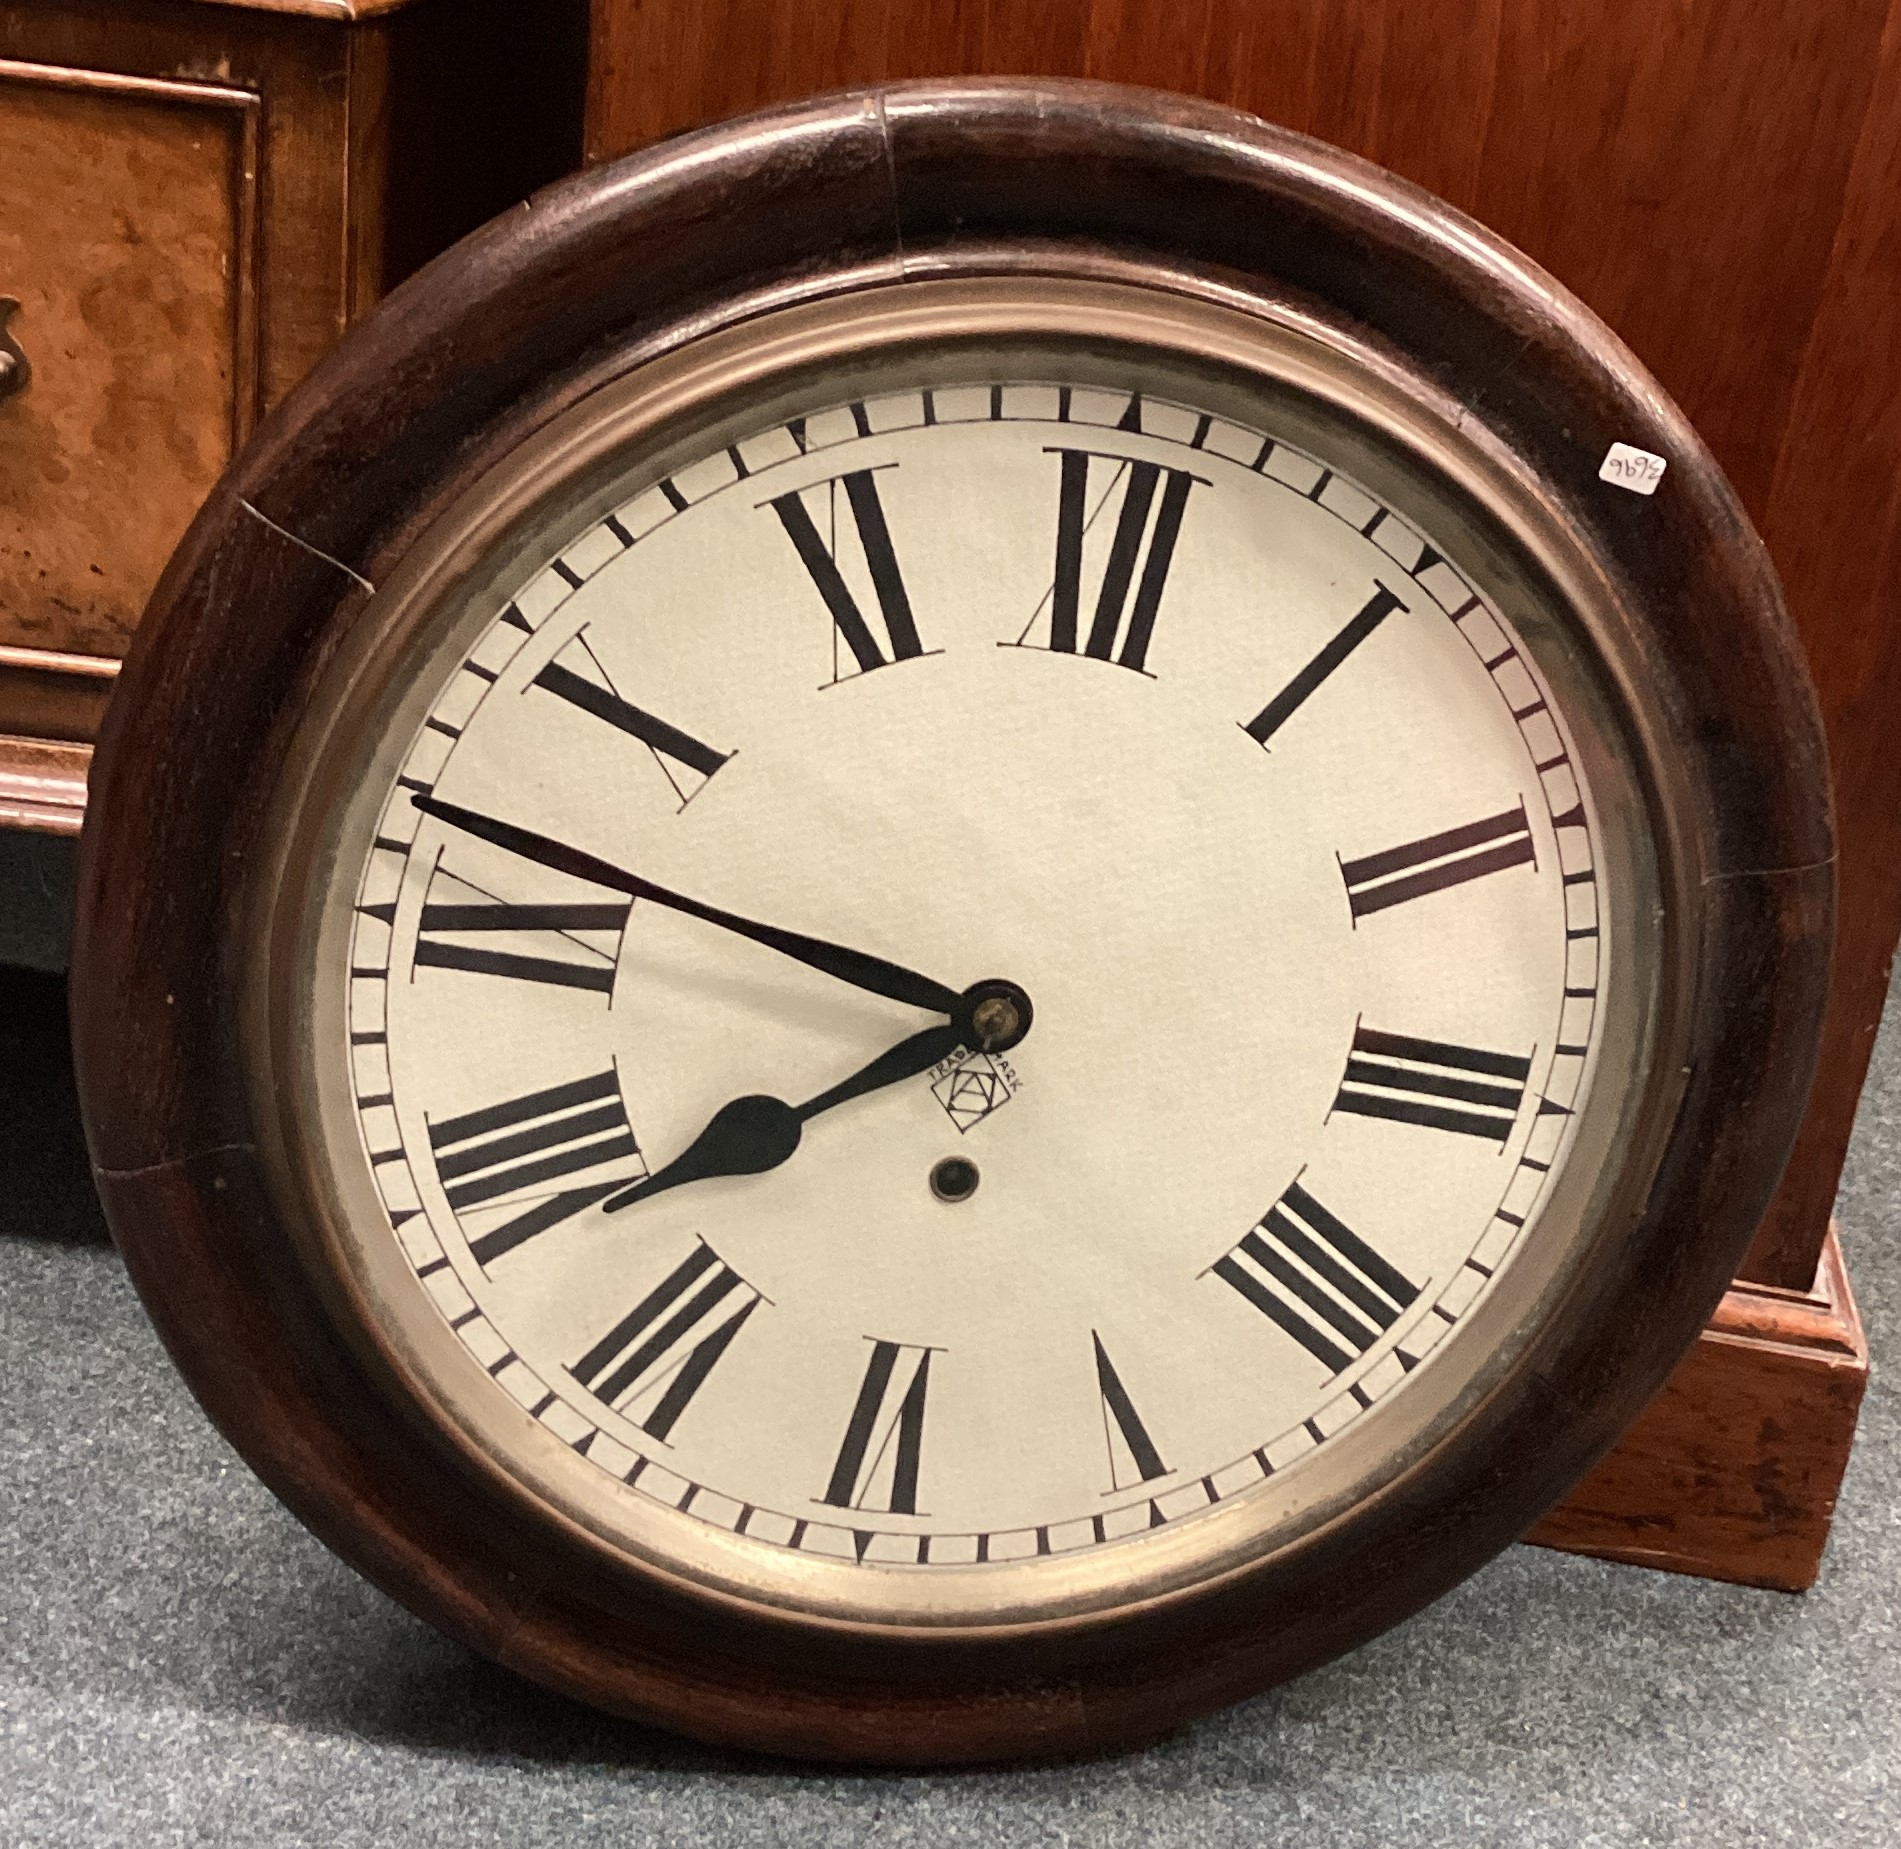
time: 7:46
